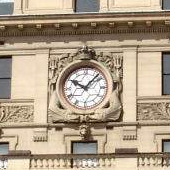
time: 10:07
